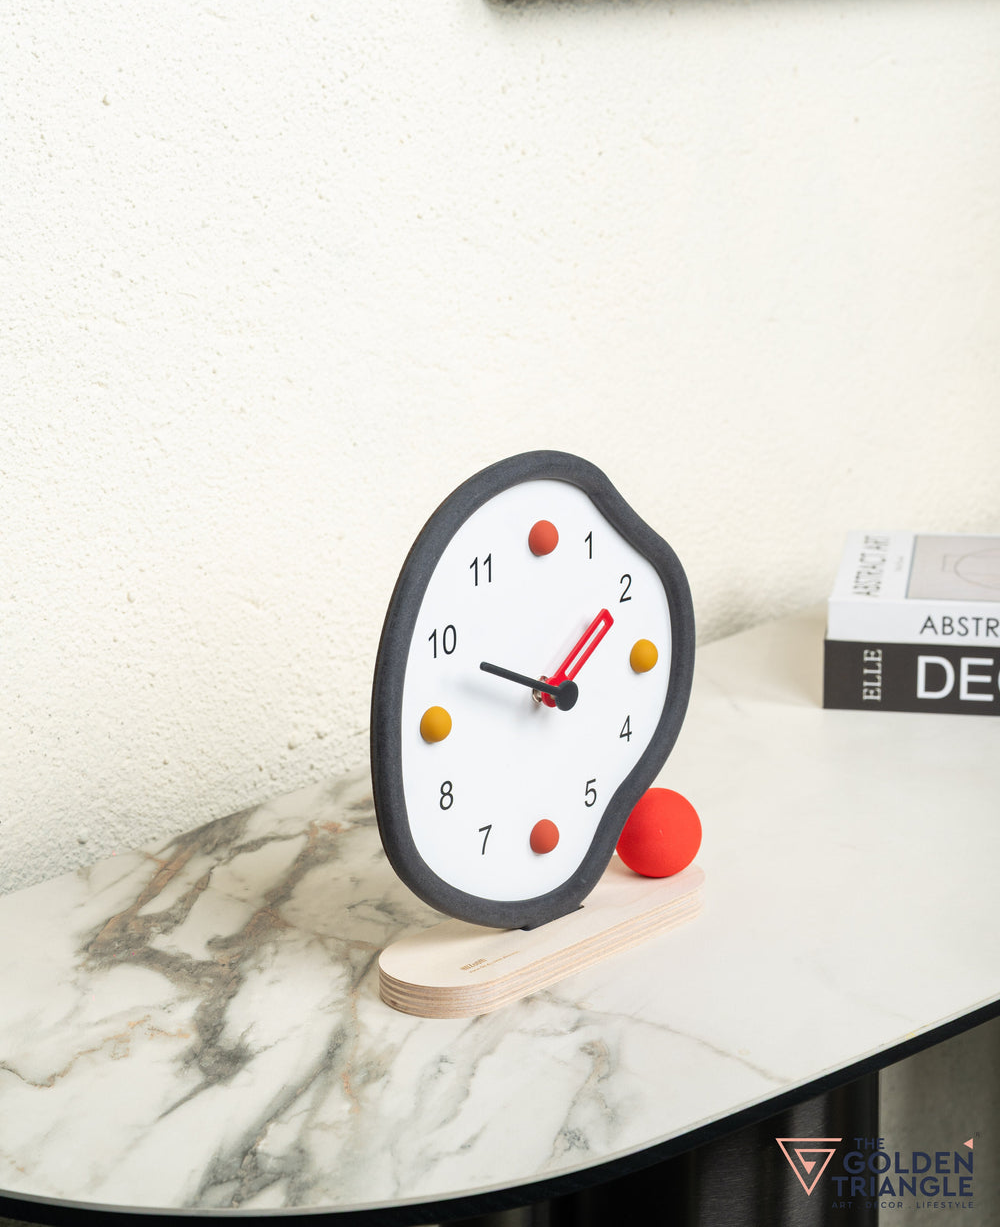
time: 1:48
